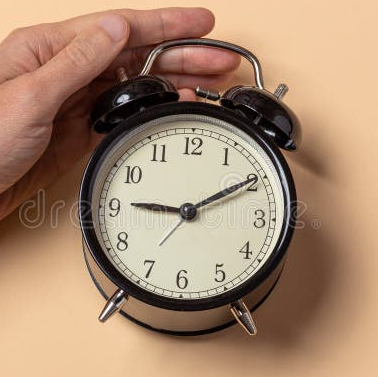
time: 9:10
